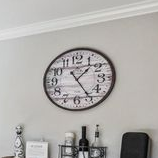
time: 1:24
